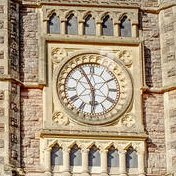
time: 5:55
